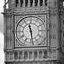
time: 11:28
